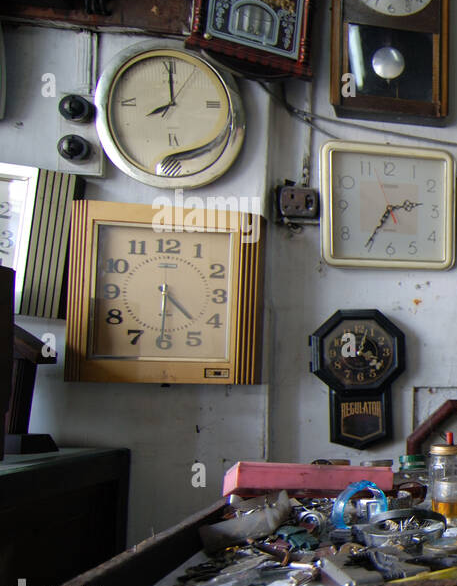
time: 4:30
